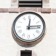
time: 12:14
